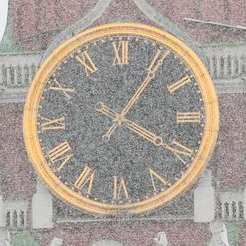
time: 4:05
